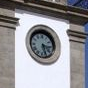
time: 3:27
